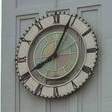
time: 8:04
